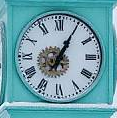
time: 7:04
